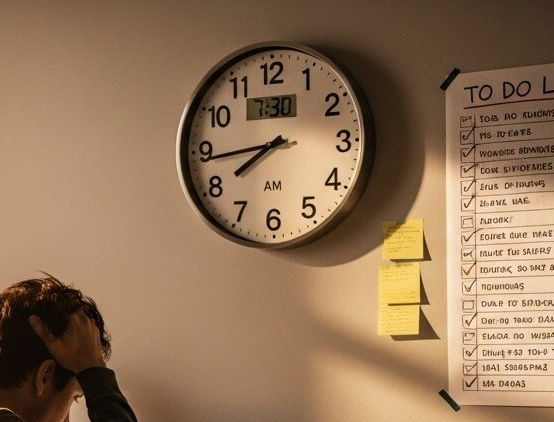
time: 7:43
